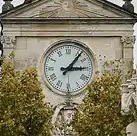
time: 3:06
